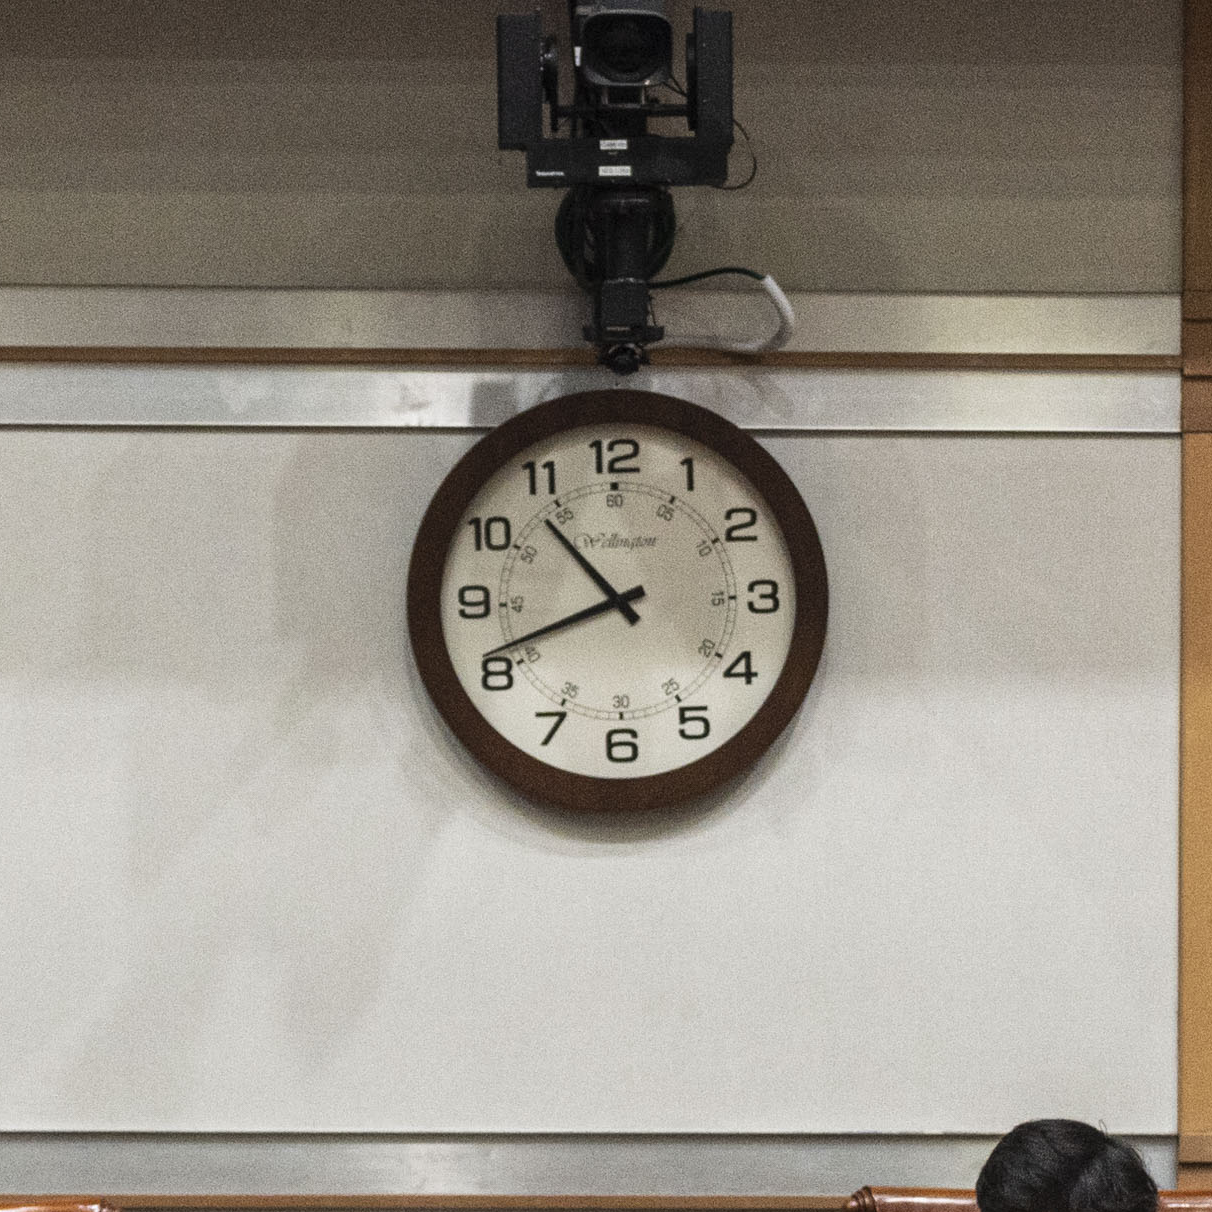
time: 10:41
